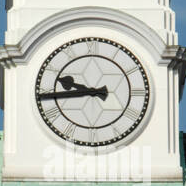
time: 9:43
